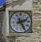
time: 2:25
